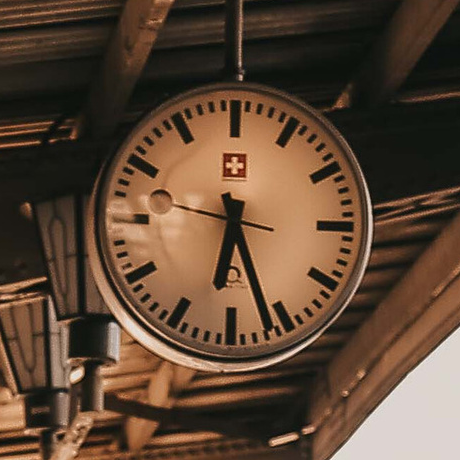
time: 6:26
